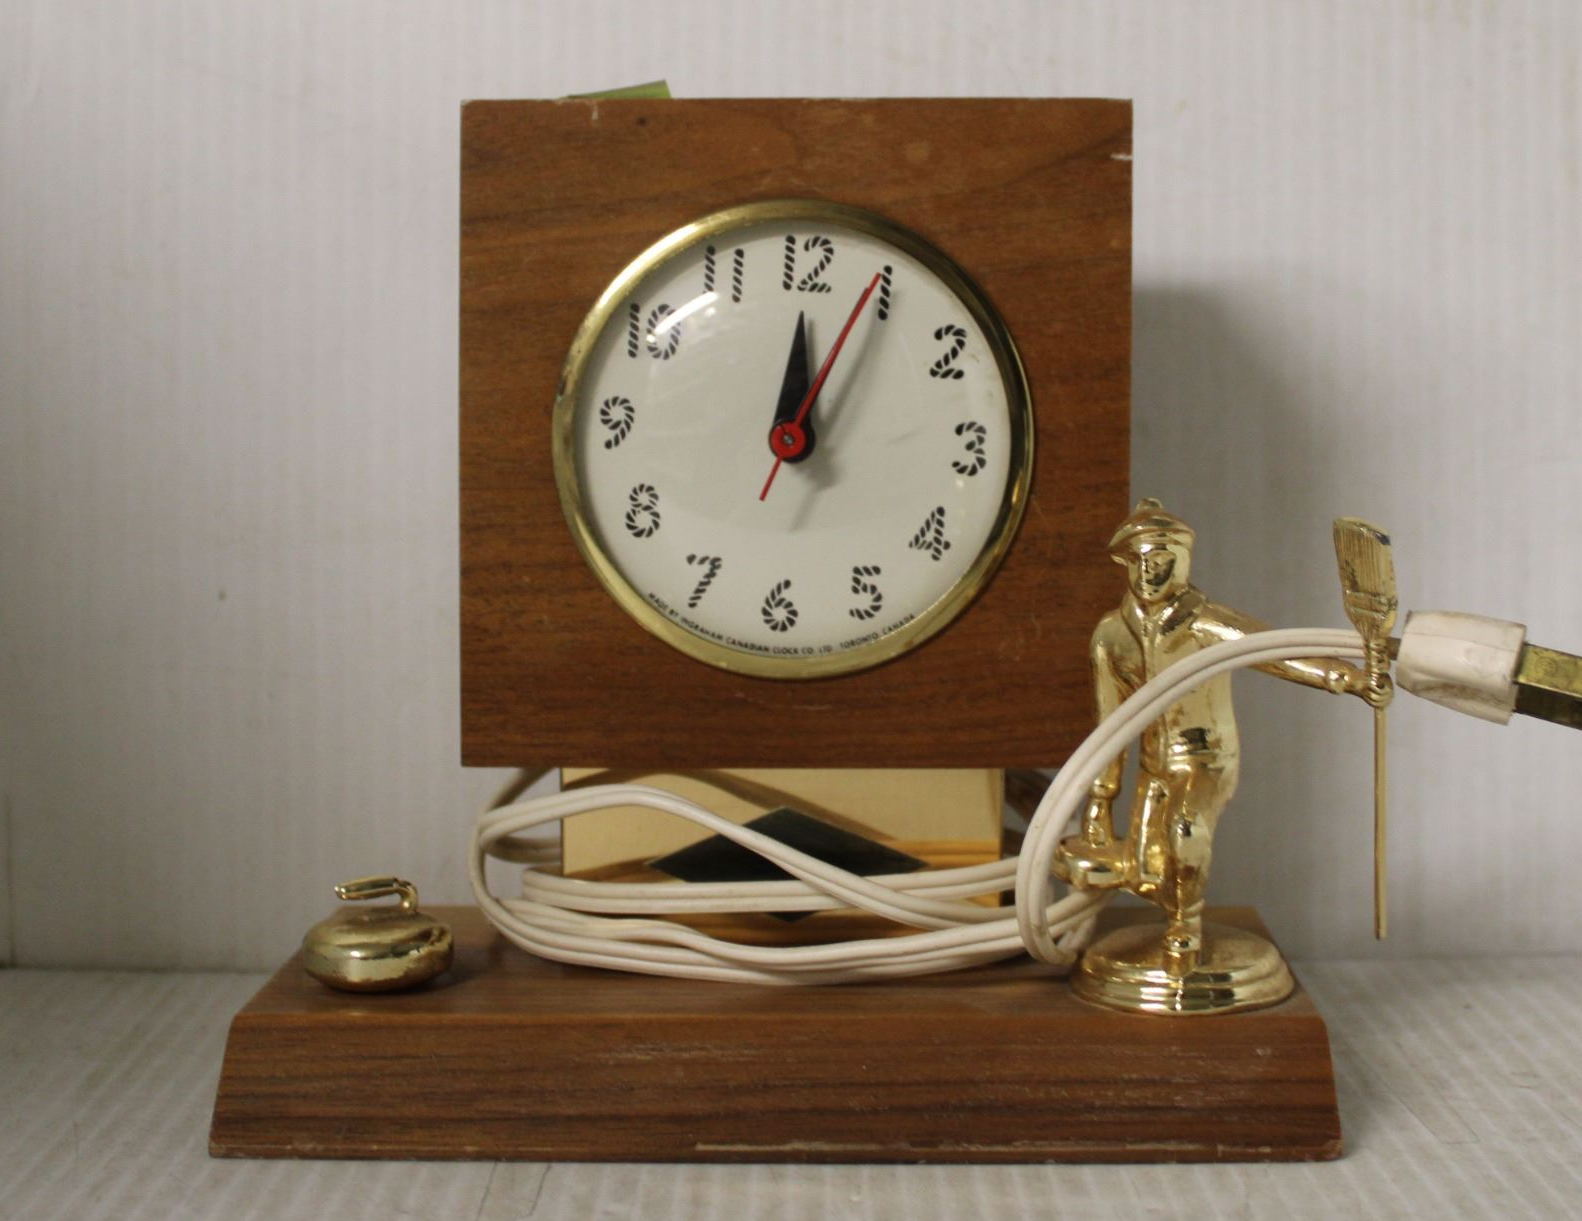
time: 12:04
